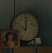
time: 10:00
